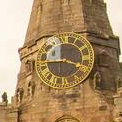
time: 3:43
